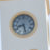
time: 8:27
